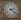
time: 2:21
